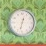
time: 12:32
